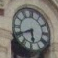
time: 5:40
